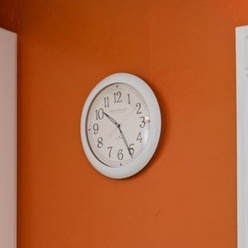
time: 10:26
